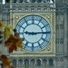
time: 9:14
